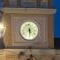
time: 5:29
